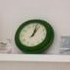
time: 1:02
